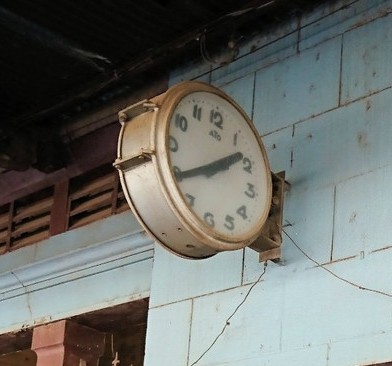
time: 1:39
